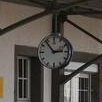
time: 2:53
